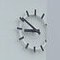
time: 8:50
